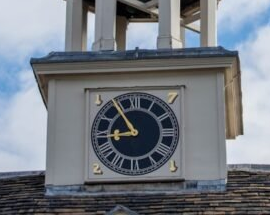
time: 8:54
